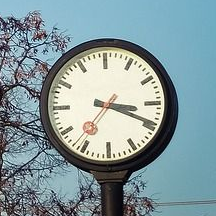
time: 3:19
